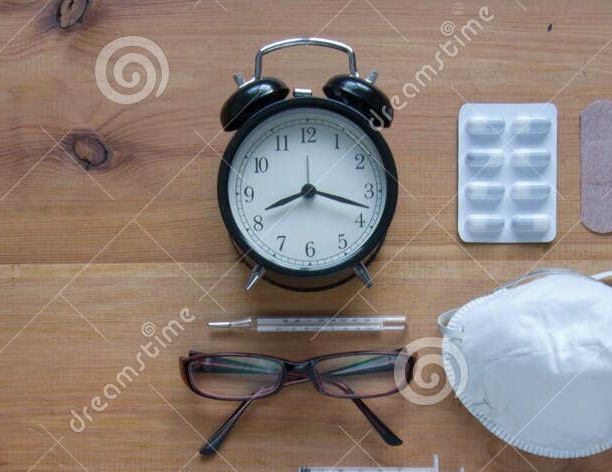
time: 8:18
